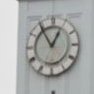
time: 12:54
